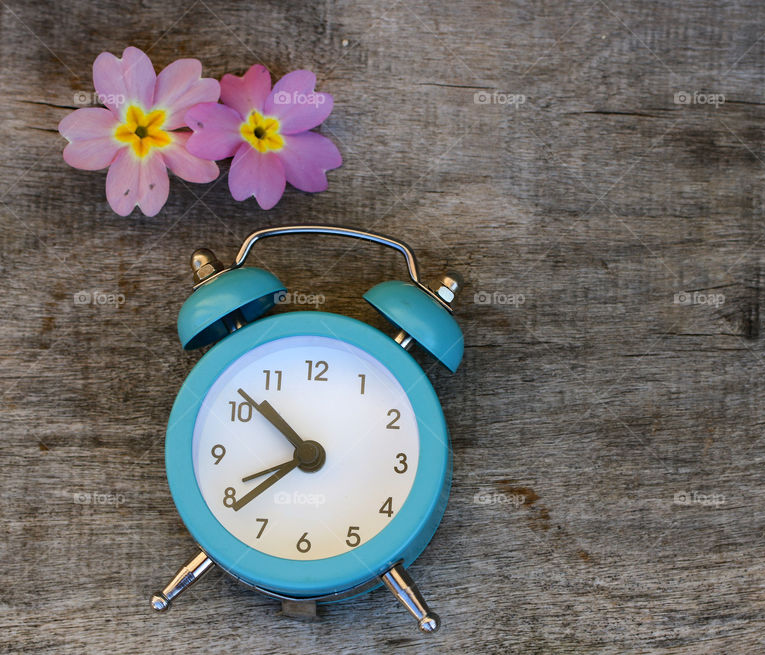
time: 7:52
